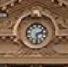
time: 2:29
